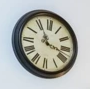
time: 11:17
